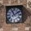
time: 11:09
